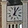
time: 12:05
